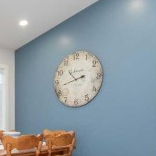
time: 10:42
